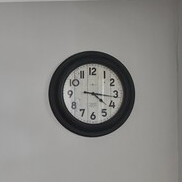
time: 4:16
